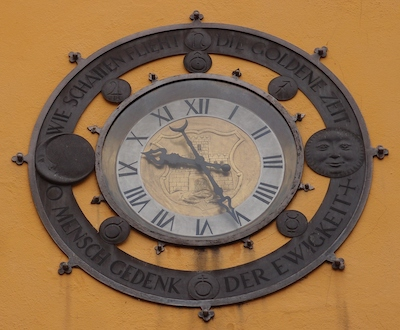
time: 9:25
